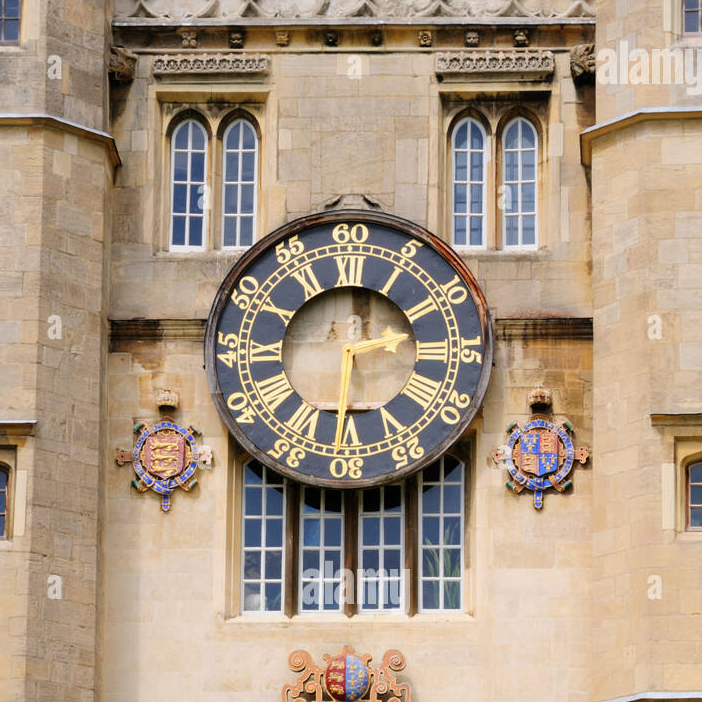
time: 2:30
